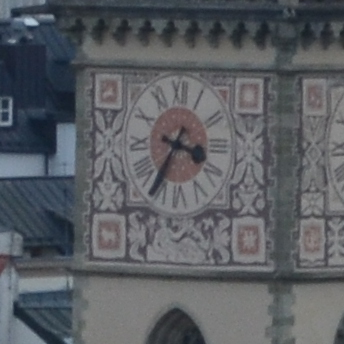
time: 3:35
